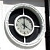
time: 4:01
